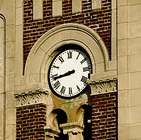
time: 8:43
